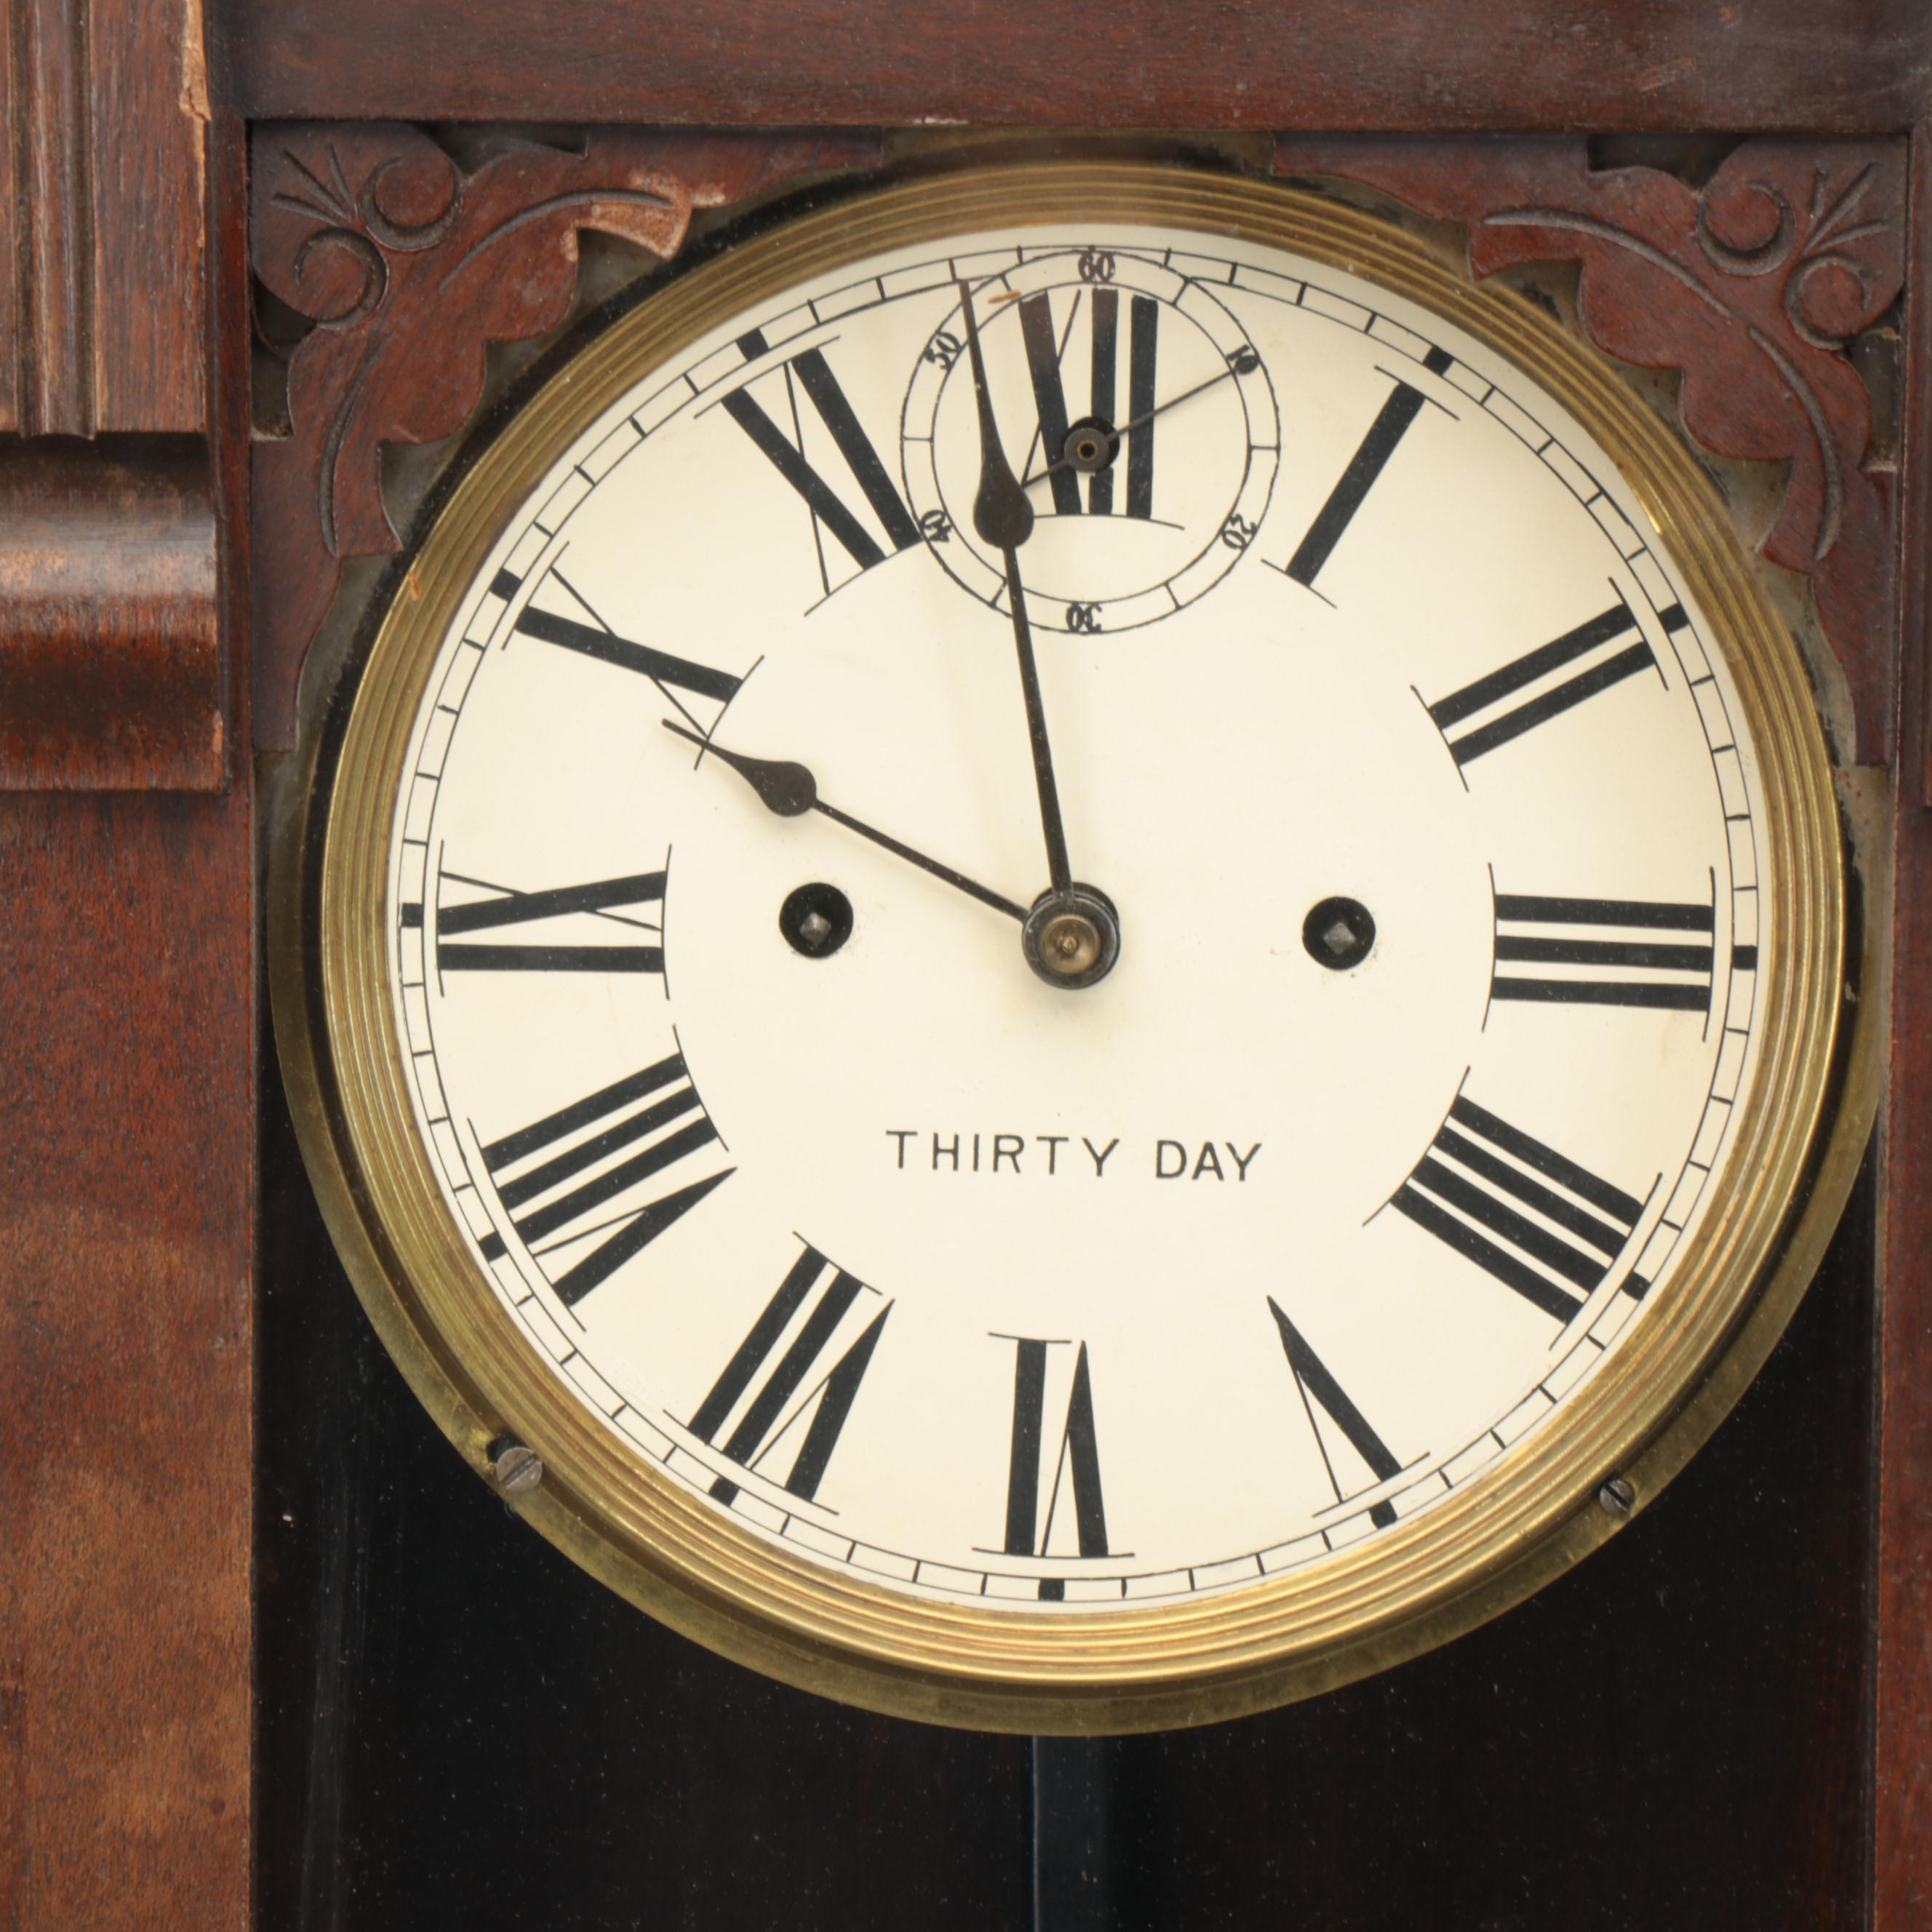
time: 9:57
